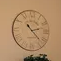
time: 2:22
